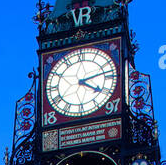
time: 4:12
